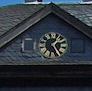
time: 1:24
